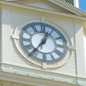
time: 12:36
